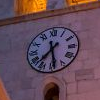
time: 7:28
